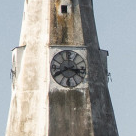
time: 3:40
